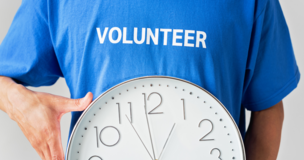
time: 12:58
